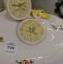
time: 4:31
